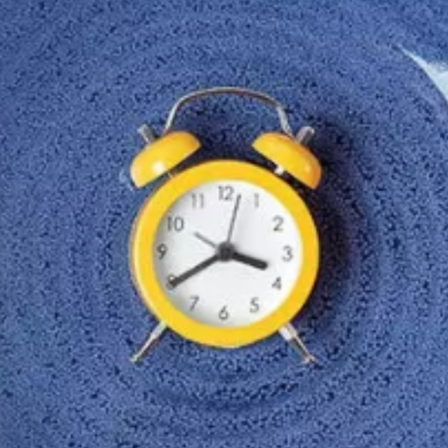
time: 3:39
